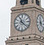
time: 11:21
